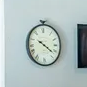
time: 10:21
